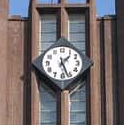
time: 1:26
